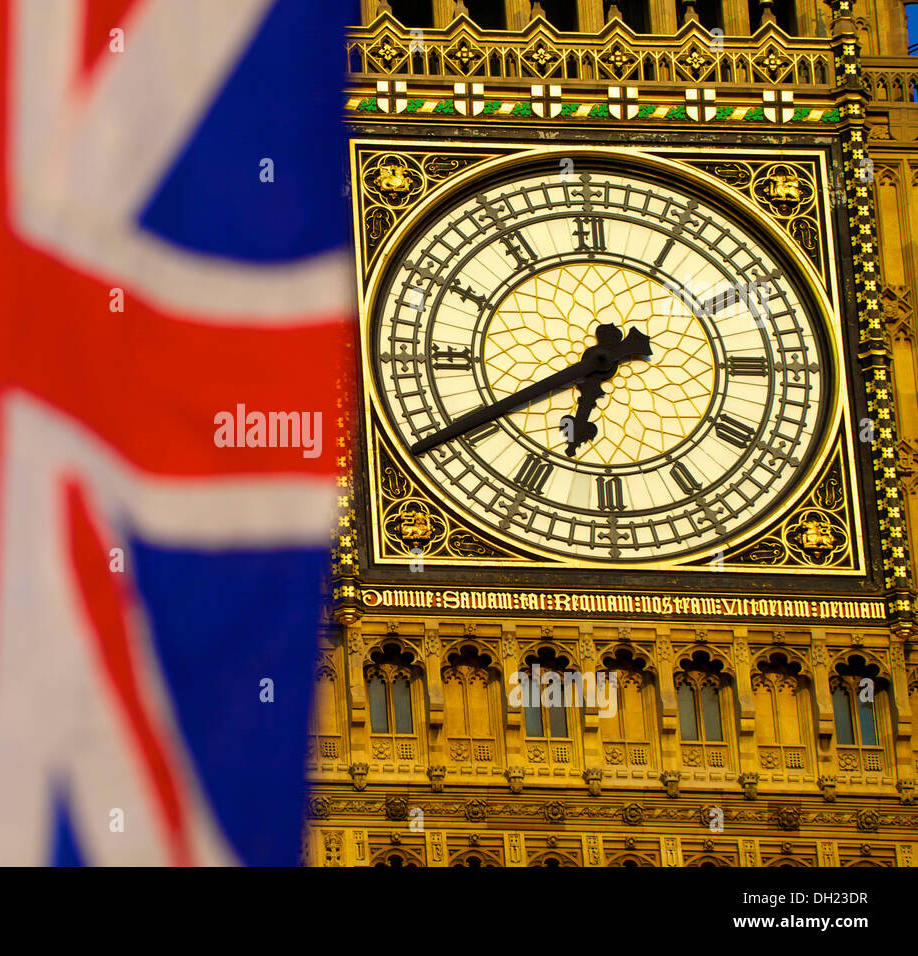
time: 6:40
